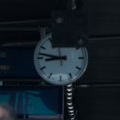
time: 8:47
